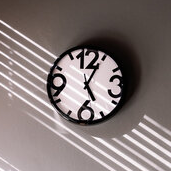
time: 5:04
